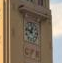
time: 12:47
